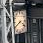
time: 3:40
